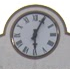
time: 6:04
